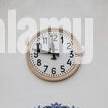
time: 11:47
